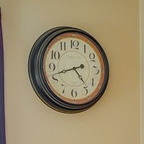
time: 4:42
